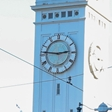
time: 2:46
